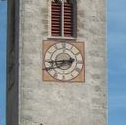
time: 2:44
